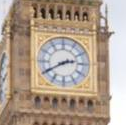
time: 2:40
